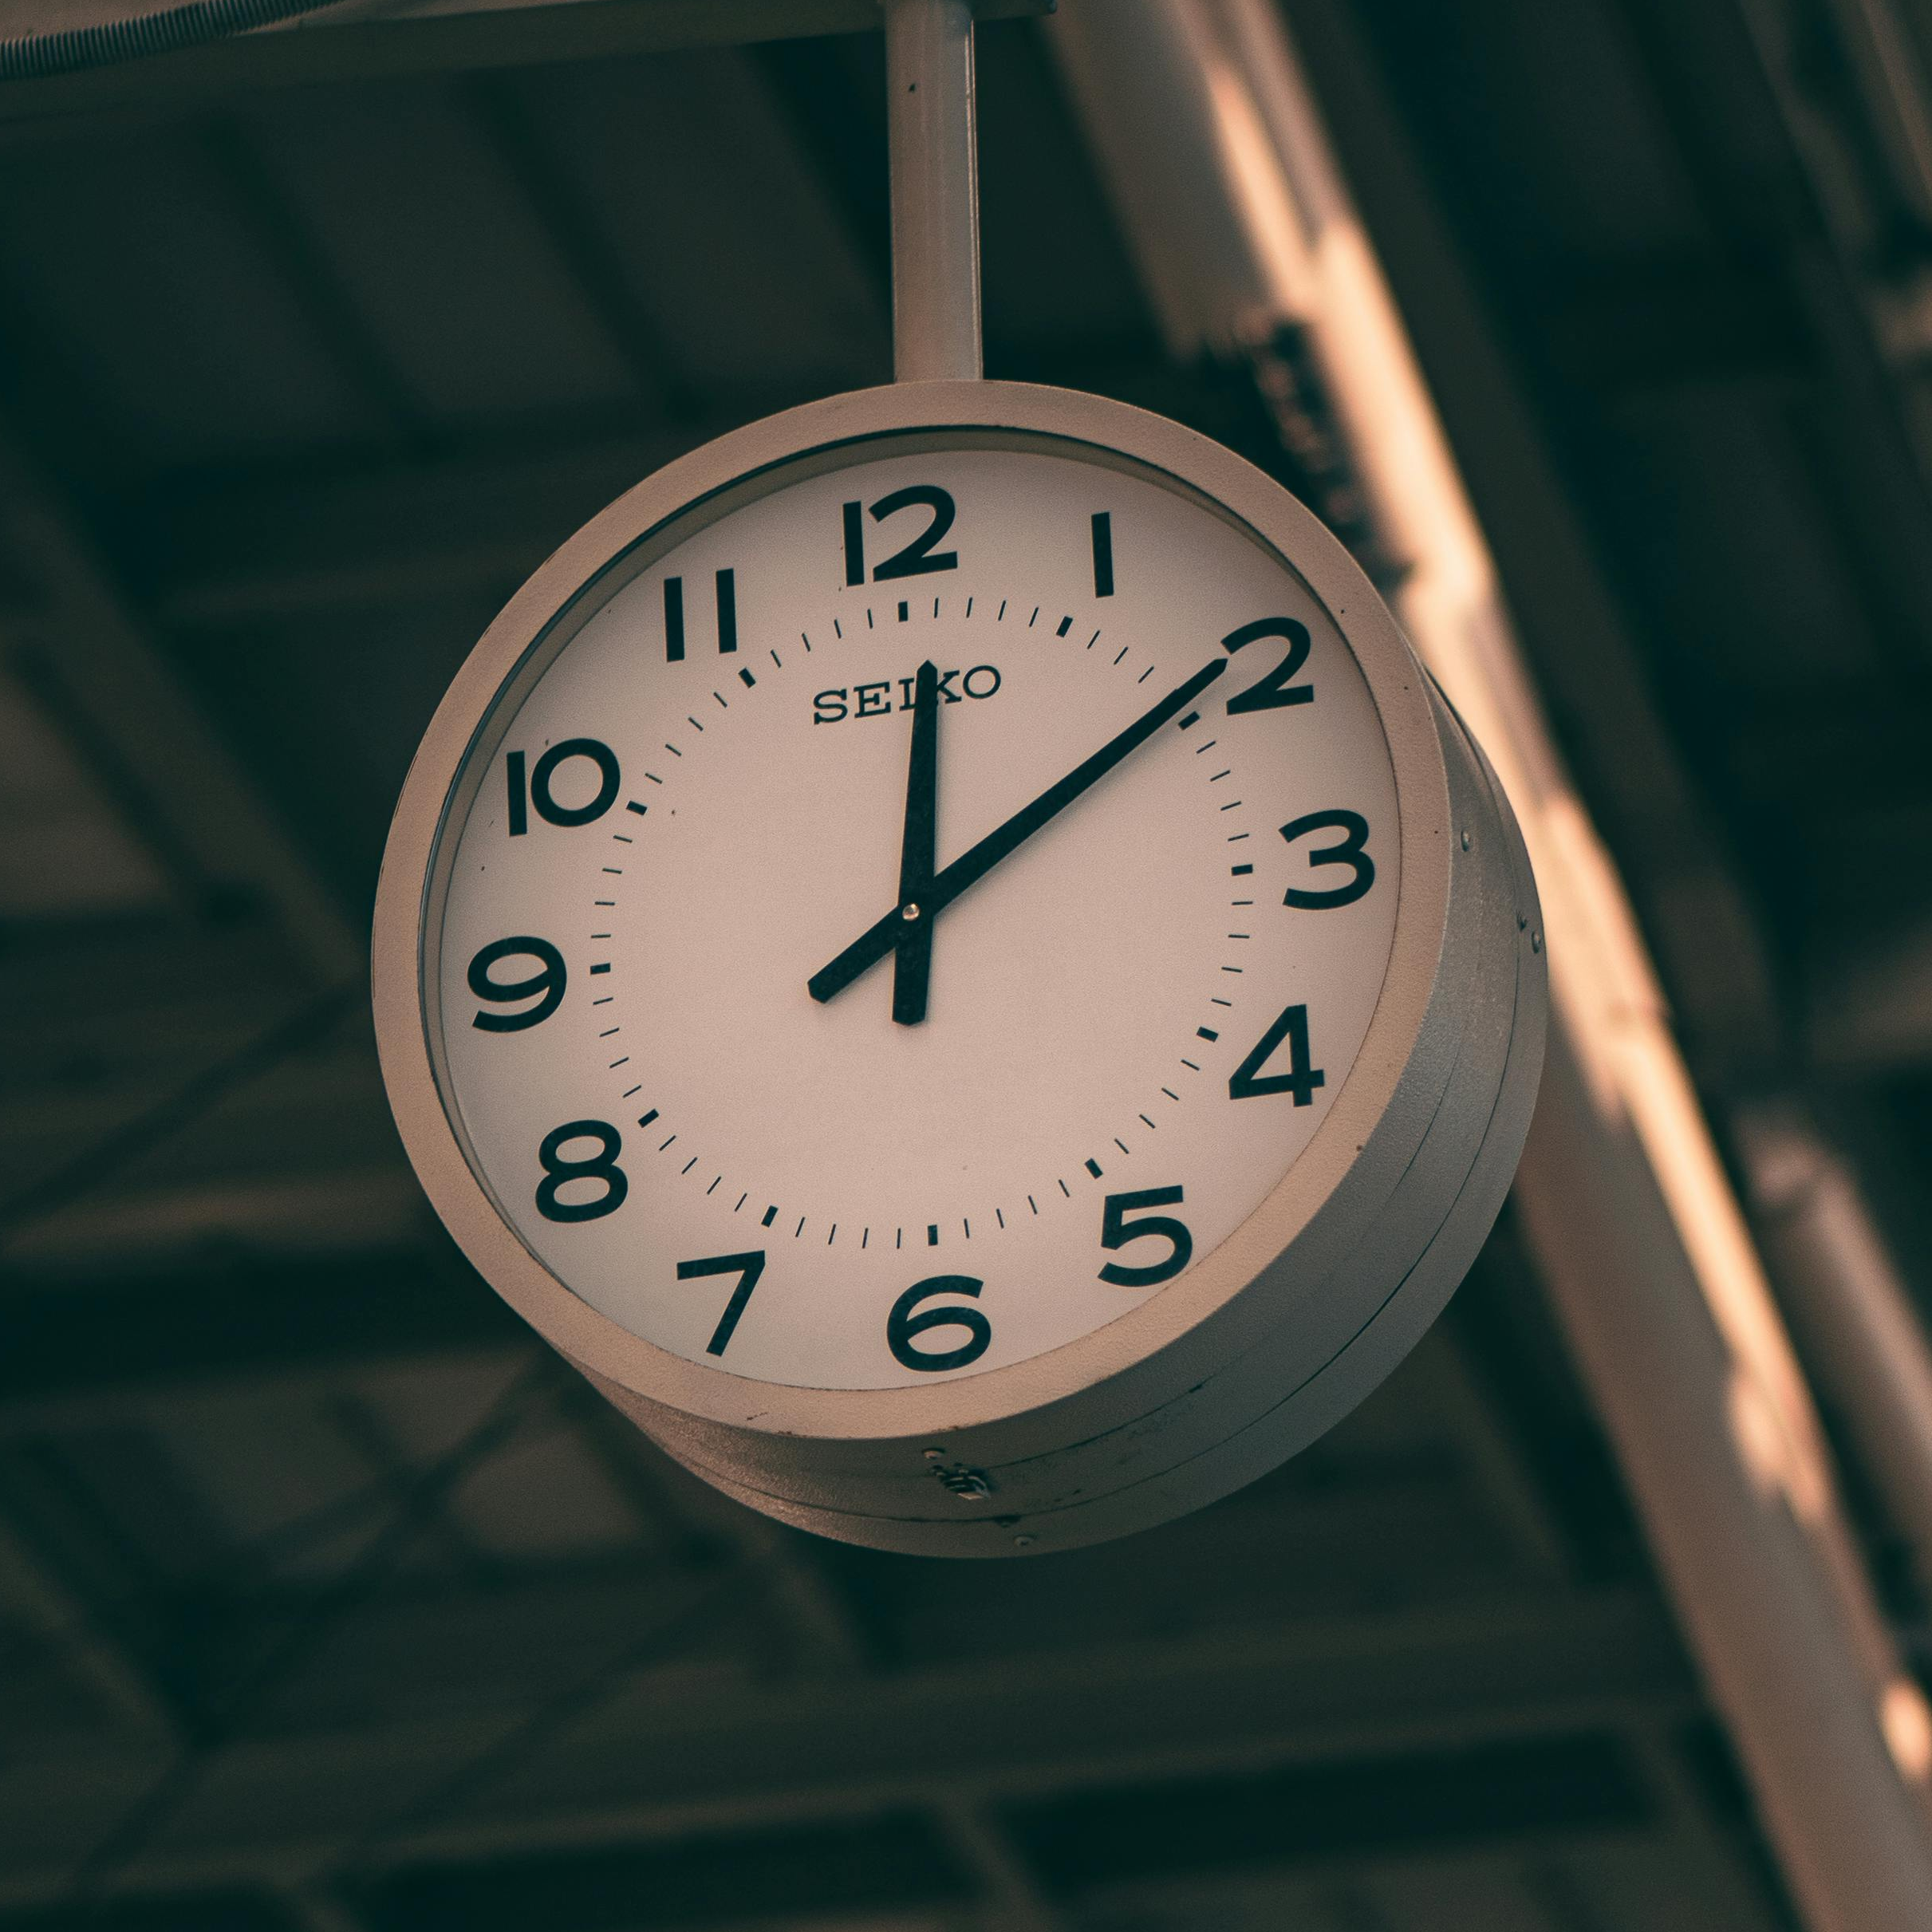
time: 12:09
